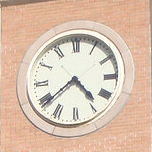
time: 4:39
